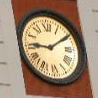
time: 9:09
